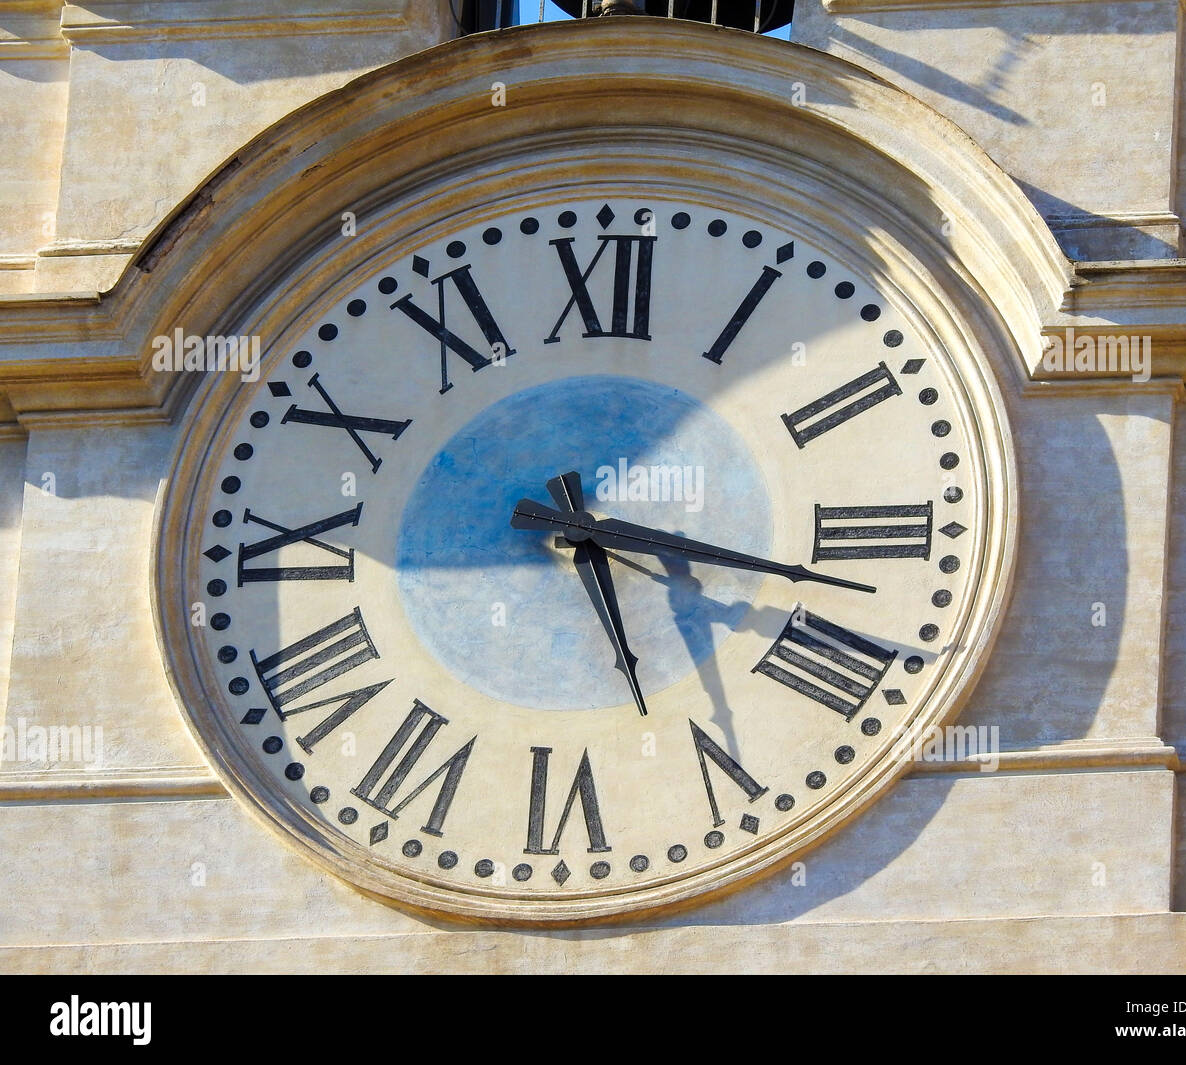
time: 5:17
